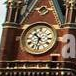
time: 10:32
